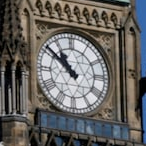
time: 10:51
